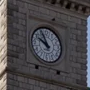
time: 9:56
